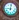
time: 9:01
